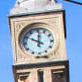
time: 10:00
